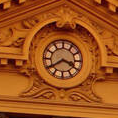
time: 3:39
